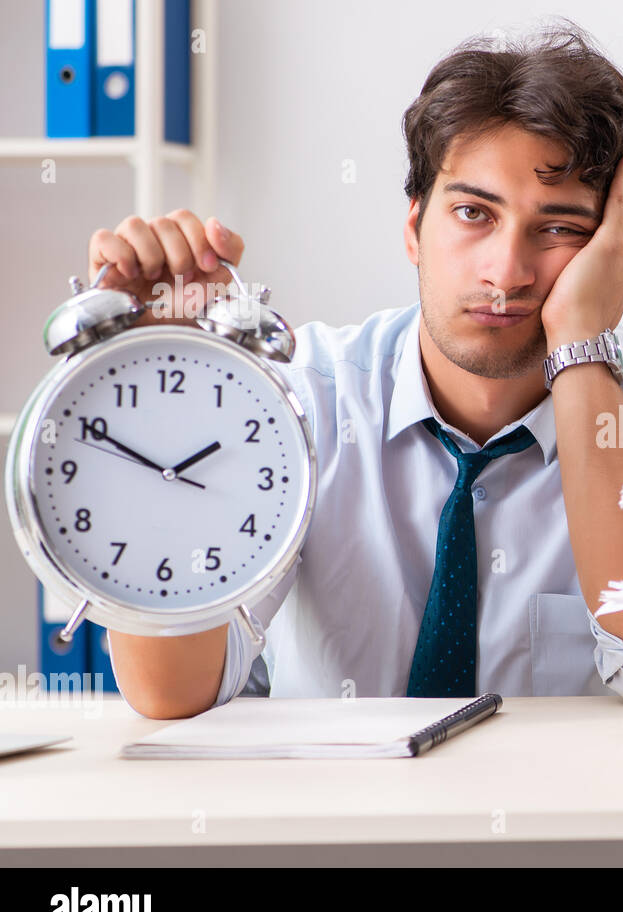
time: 1:50
